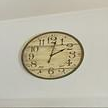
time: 2:02
